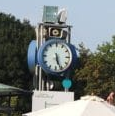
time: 5:26
